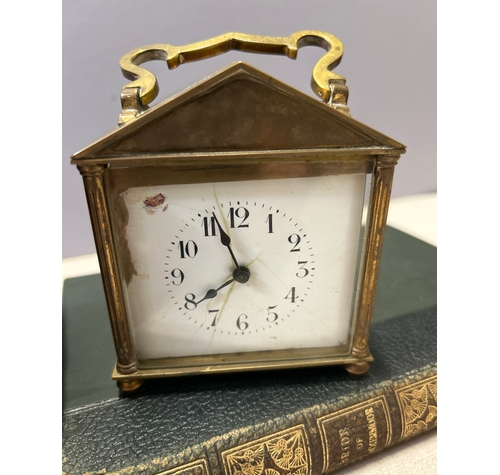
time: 7:57
